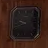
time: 9:42
